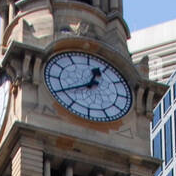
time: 12:40
